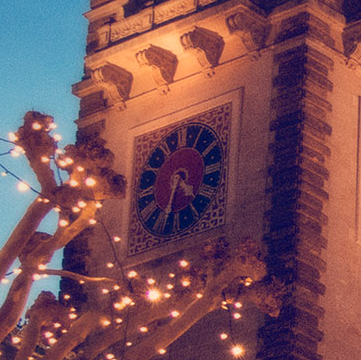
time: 4:33
